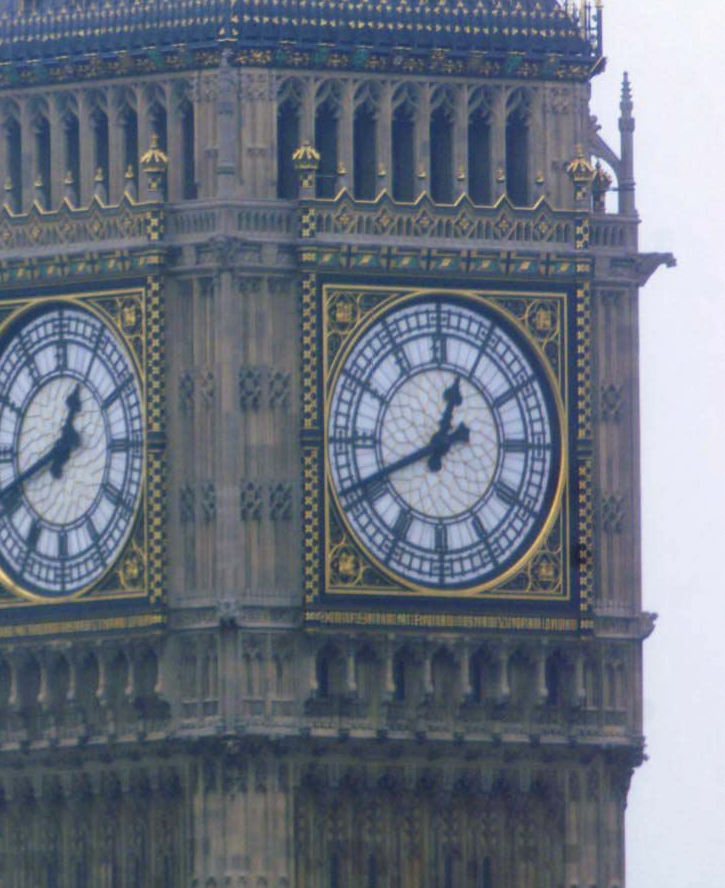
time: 12:41
